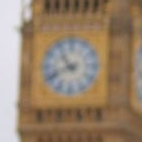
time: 10:41
